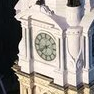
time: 7:40
